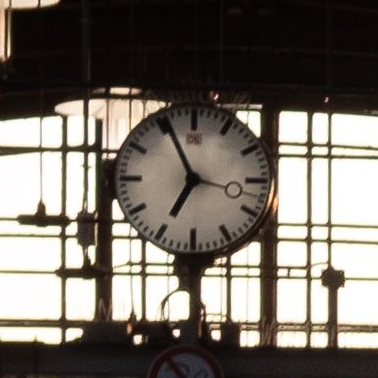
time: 6:55
